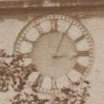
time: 3:04
